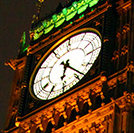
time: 6:23
